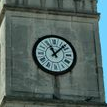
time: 11:07
